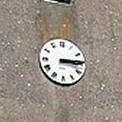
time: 3:14
